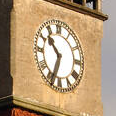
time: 10:33
